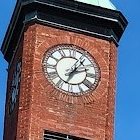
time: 2:06
